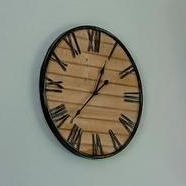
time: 12:37
